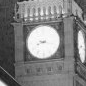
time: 8:17
